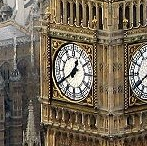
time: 12:40
